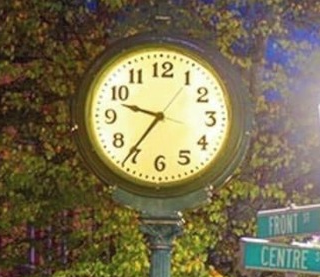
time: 9:36
